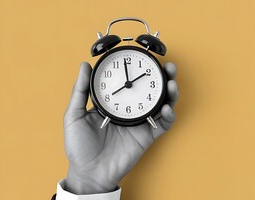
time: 1:59
